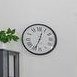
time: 12:34
